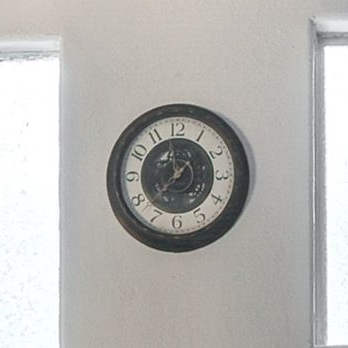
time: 11:37
